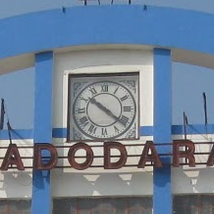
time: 10:21
